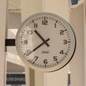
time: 10:39
